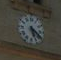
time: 5:20
